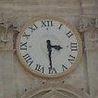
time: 3:30
